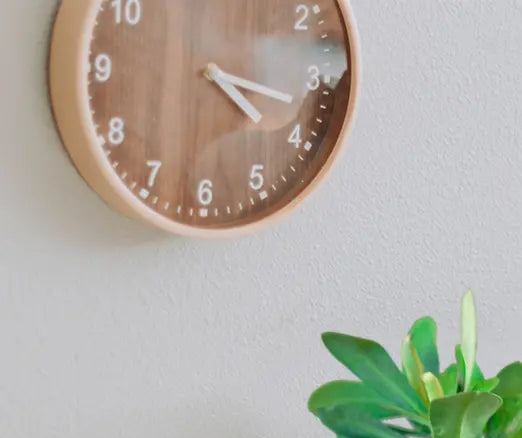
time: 4:17
